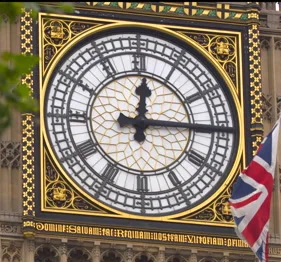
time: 12:14
